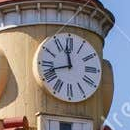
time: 11:42
